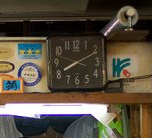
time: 8:10
